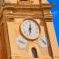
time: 12:32
